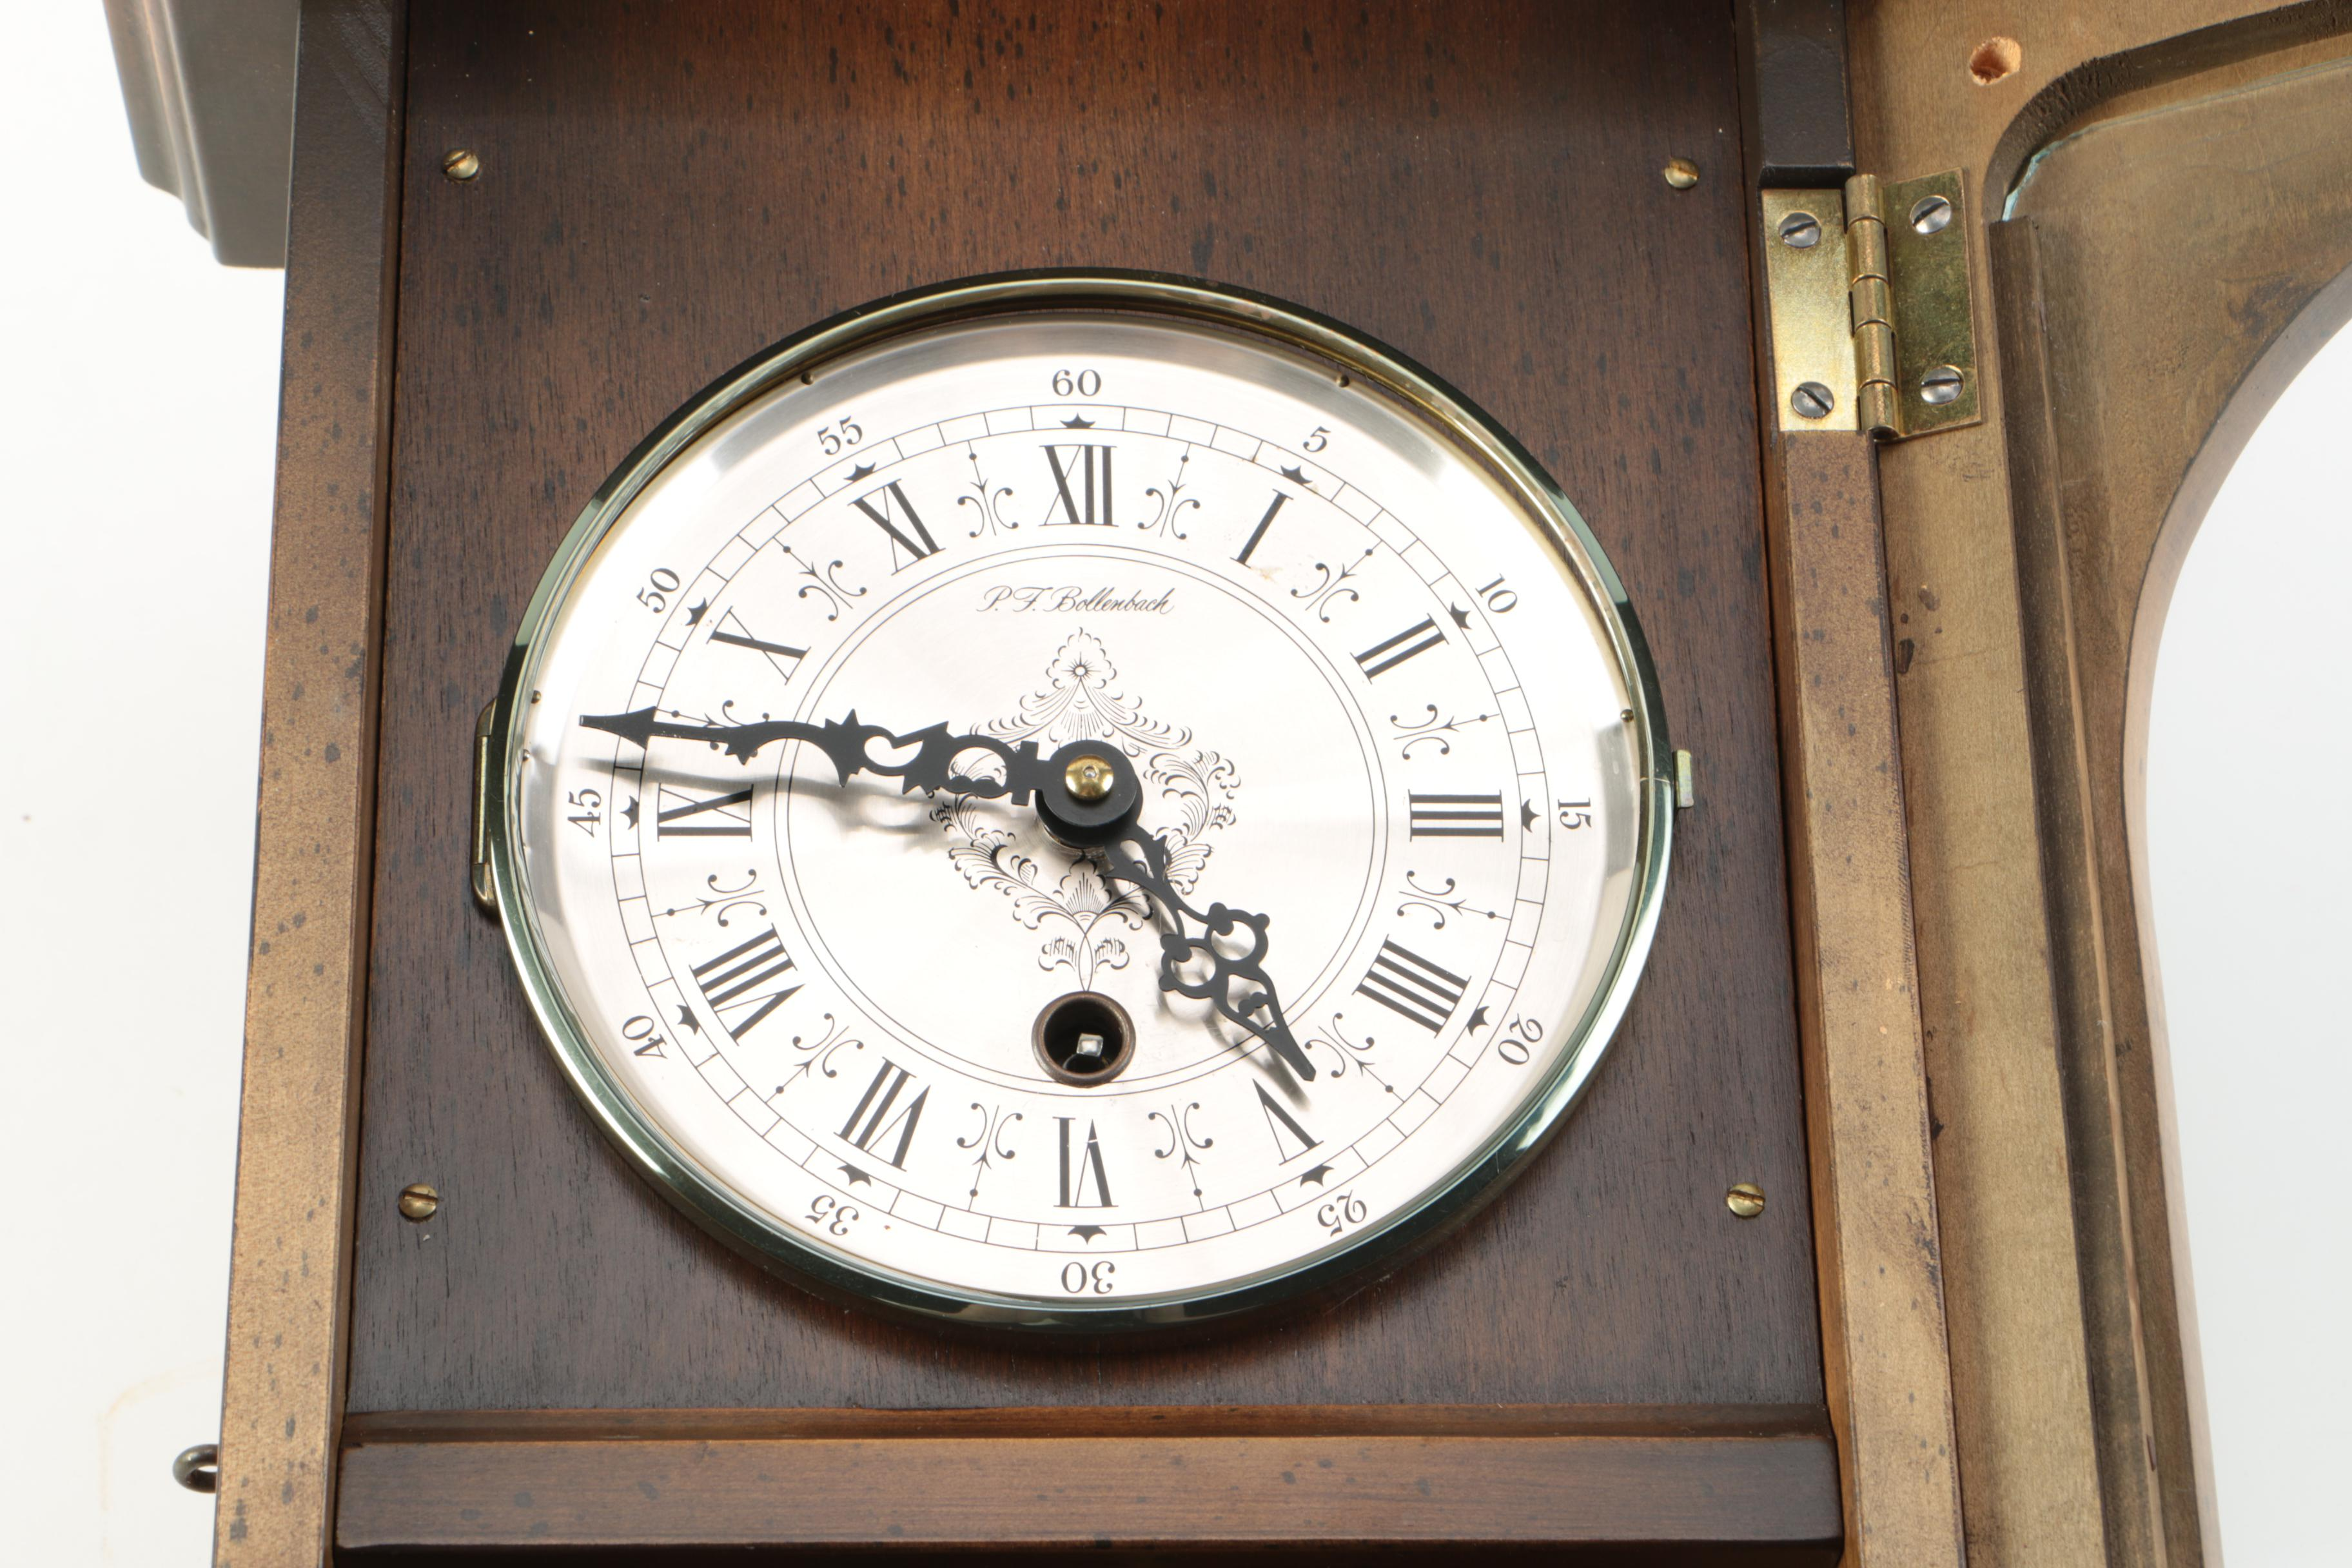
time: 4:46
